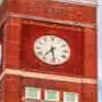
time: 7:28
